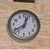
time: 12:39
